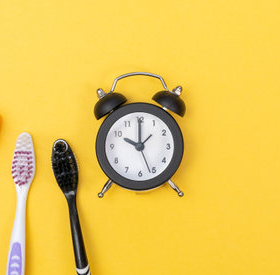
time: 10:00
